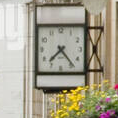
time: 7:23
